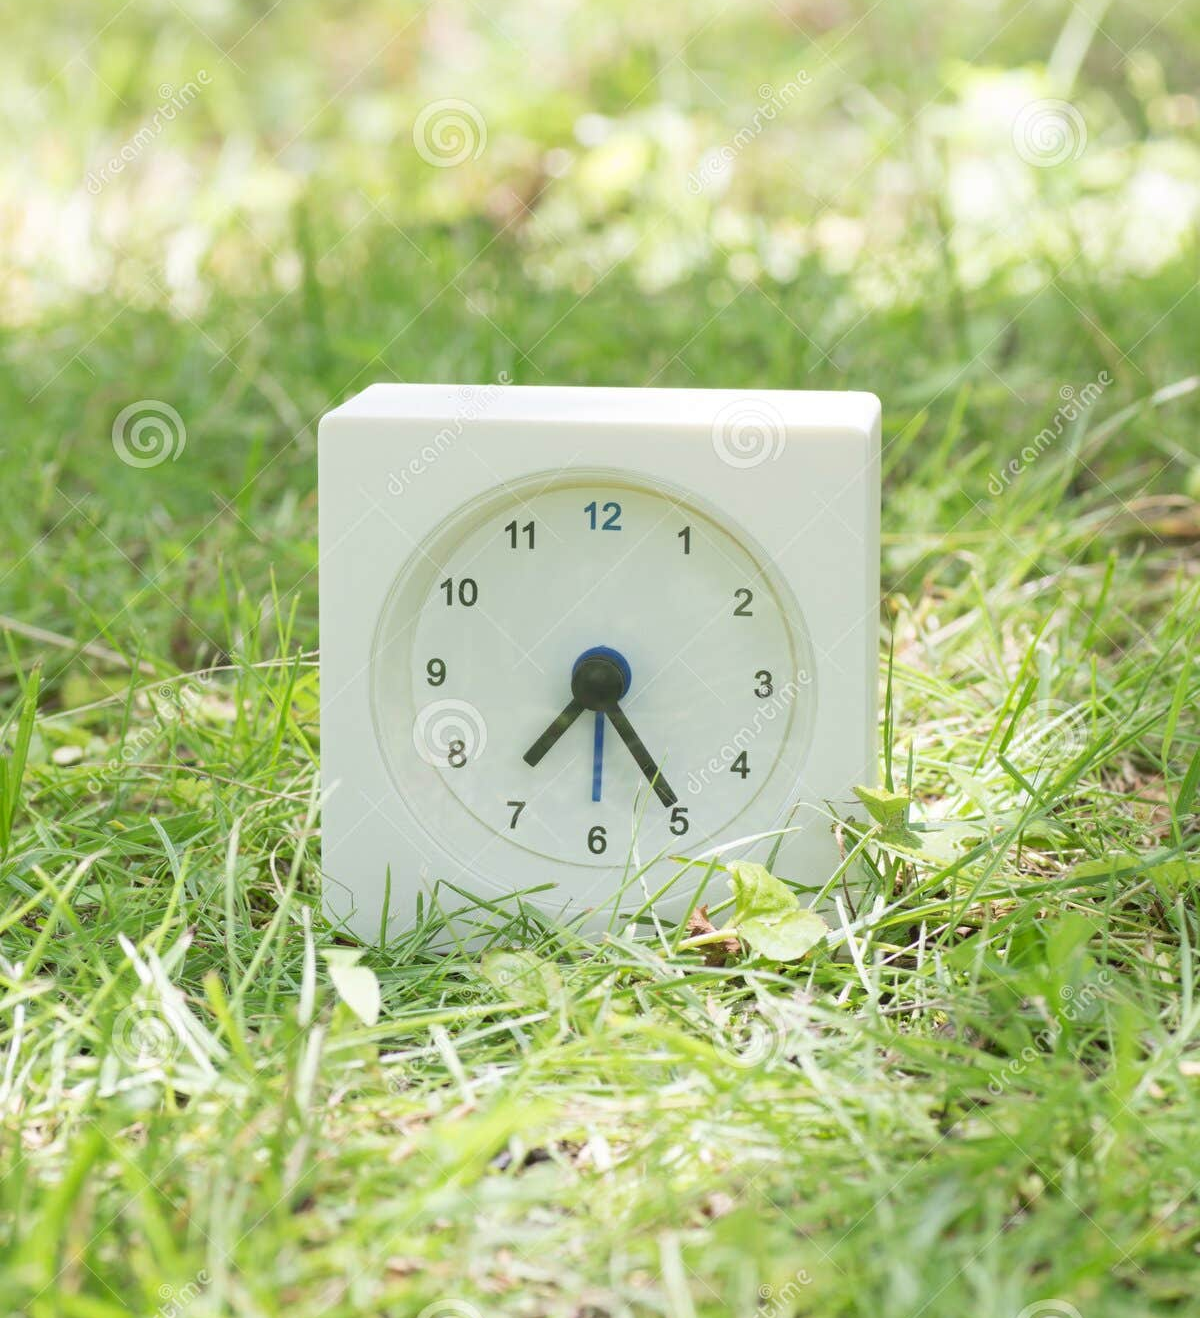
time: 7:24
